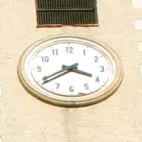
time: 3:39
